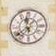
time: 11:37
